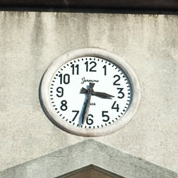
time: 3:32
